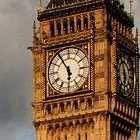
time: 5:54
